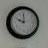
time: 10:00
